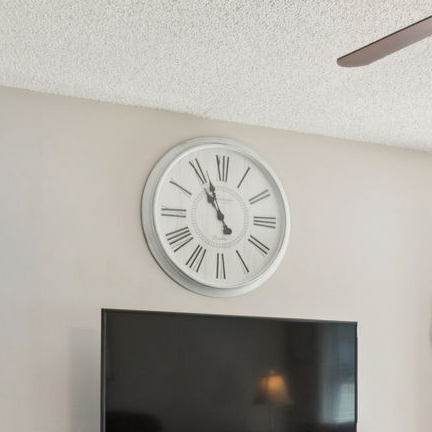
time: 10:56
